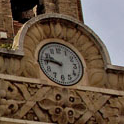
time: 9:45
